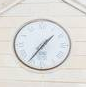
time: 1:36
